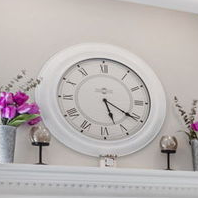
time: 5:20
